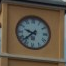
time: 9:38
